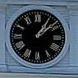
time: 1:08
